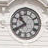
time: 10:39
